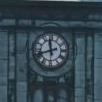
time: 11:41
